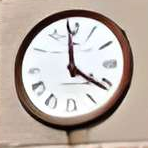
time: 3:58
